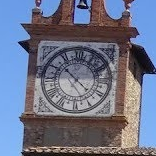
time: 10:22
